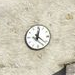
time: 12:21
